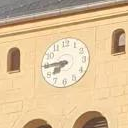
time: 7:44
